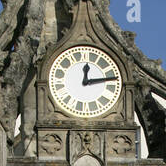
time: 12:12
